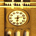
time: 6:12
